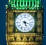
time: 5:17
